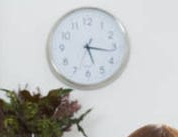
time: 5:16
